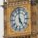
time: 4:59
